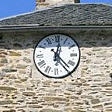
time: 12:23
